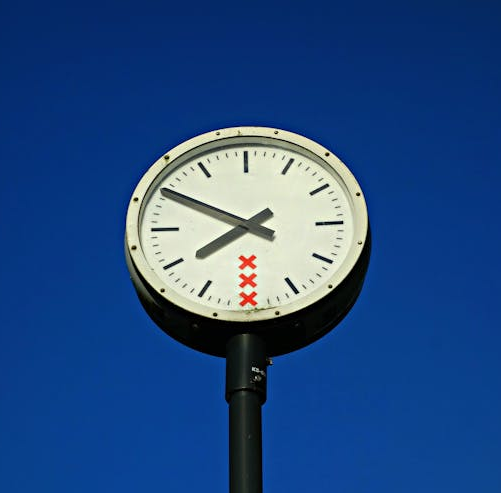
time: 7:50
